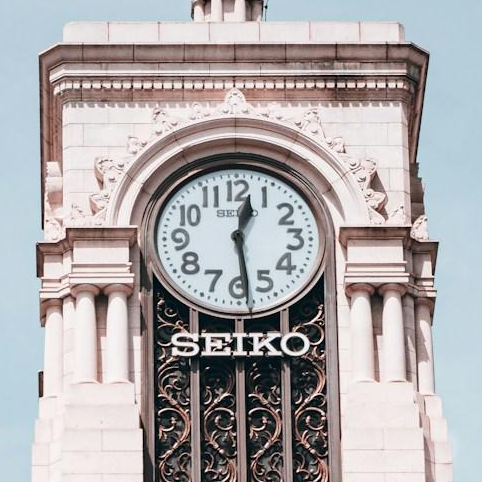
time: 12:28
